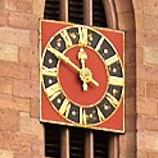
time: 11:48
